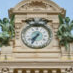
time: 7:34
